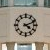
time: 4:11
